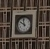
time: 9:57
